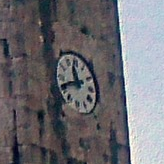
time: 11:41
